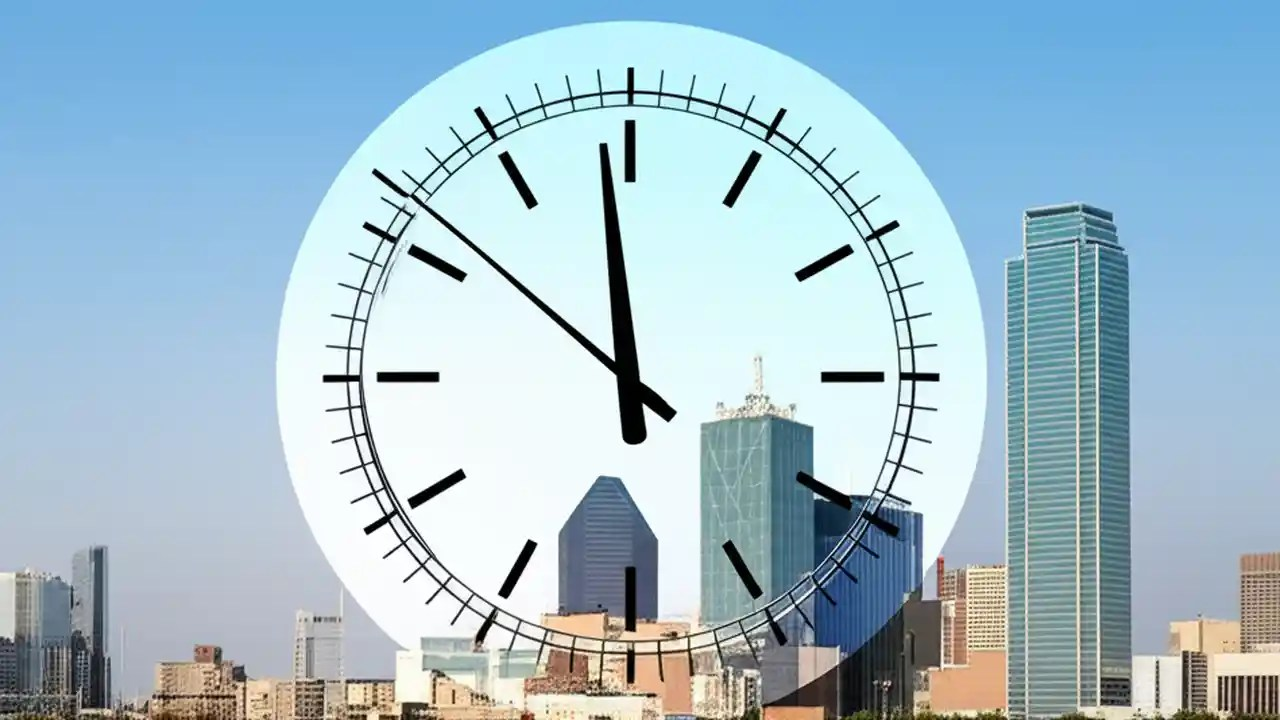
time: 11:58
